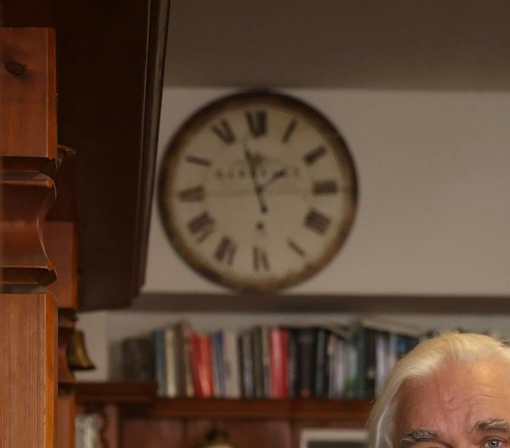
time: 1:57
